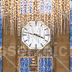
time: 3:47
